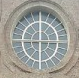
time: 5:59
